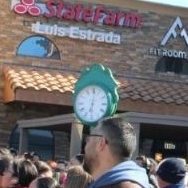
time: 6:01
